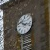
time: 10:17
